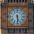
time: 5:29
